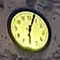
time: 6:03
